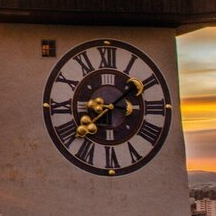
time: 1:37
